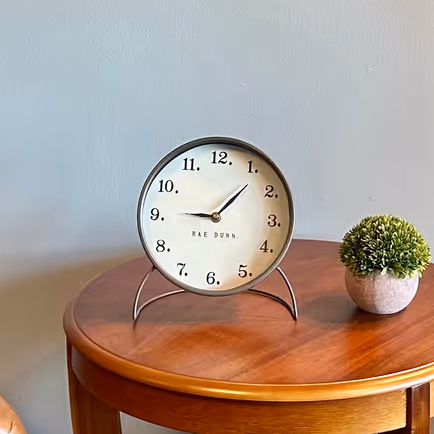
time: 9:07
